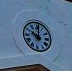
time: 10:00
